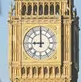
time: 8:59
